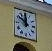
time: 11:50
